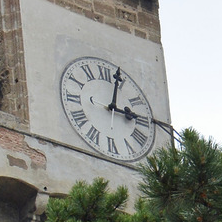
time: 3:03
